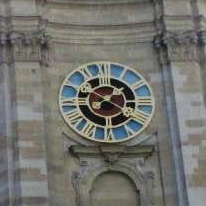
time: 1:50
